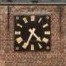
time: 4:34
